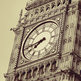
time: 7:43
